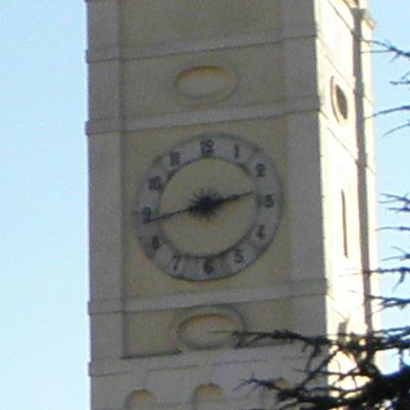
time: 2:43
